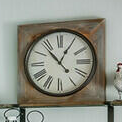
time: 12:53
